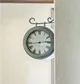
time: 2:43
